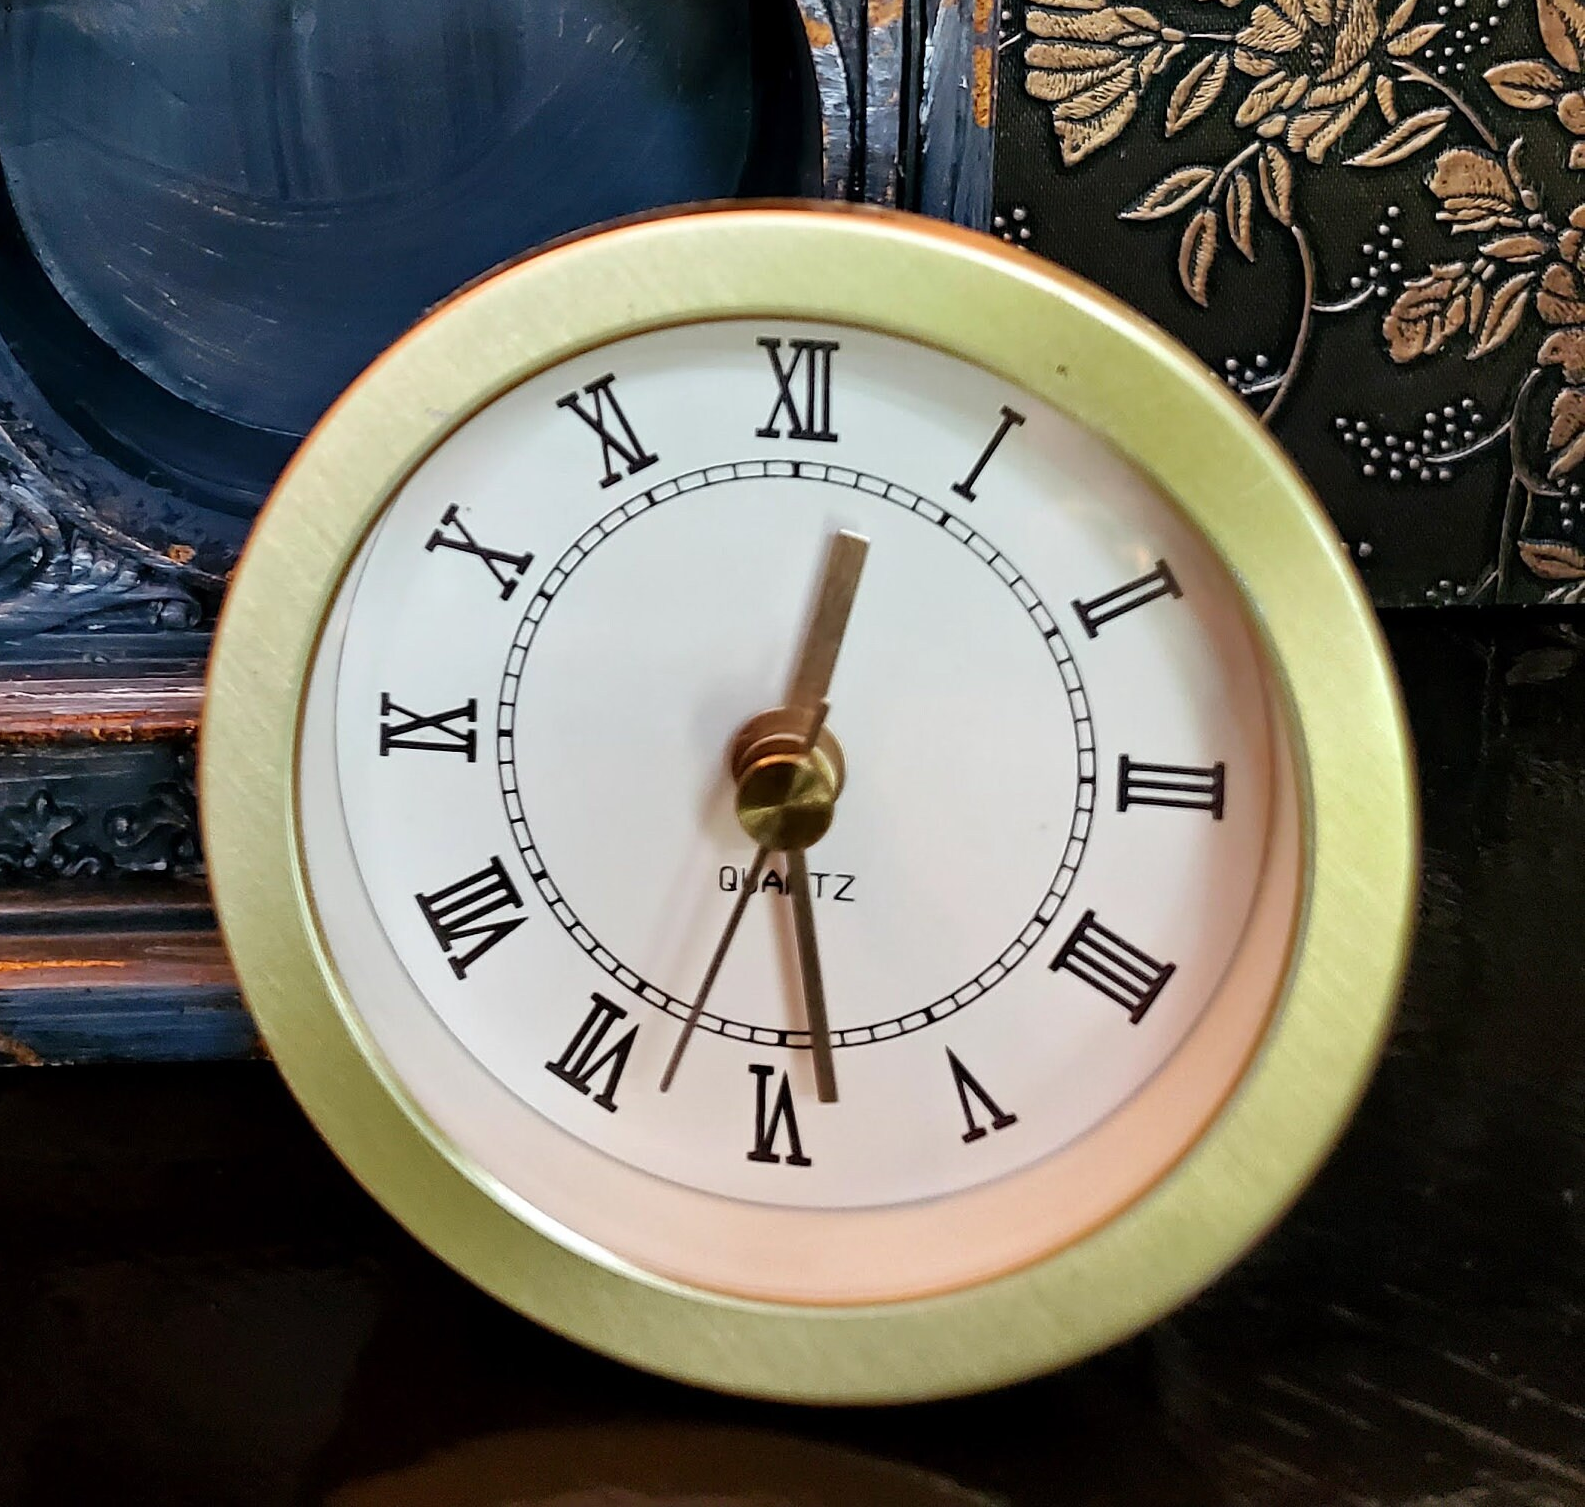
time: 12:28
